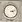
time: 3:12
